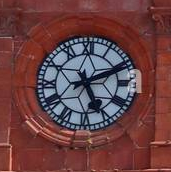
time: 5:11
